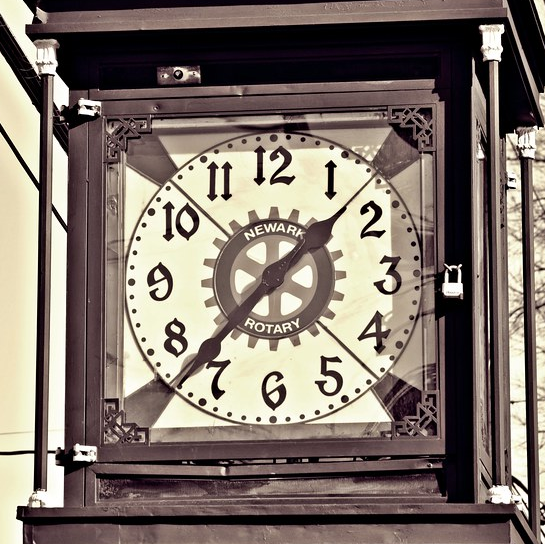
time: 1:37
